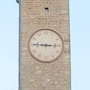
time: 9:15
